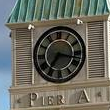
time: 7:17
